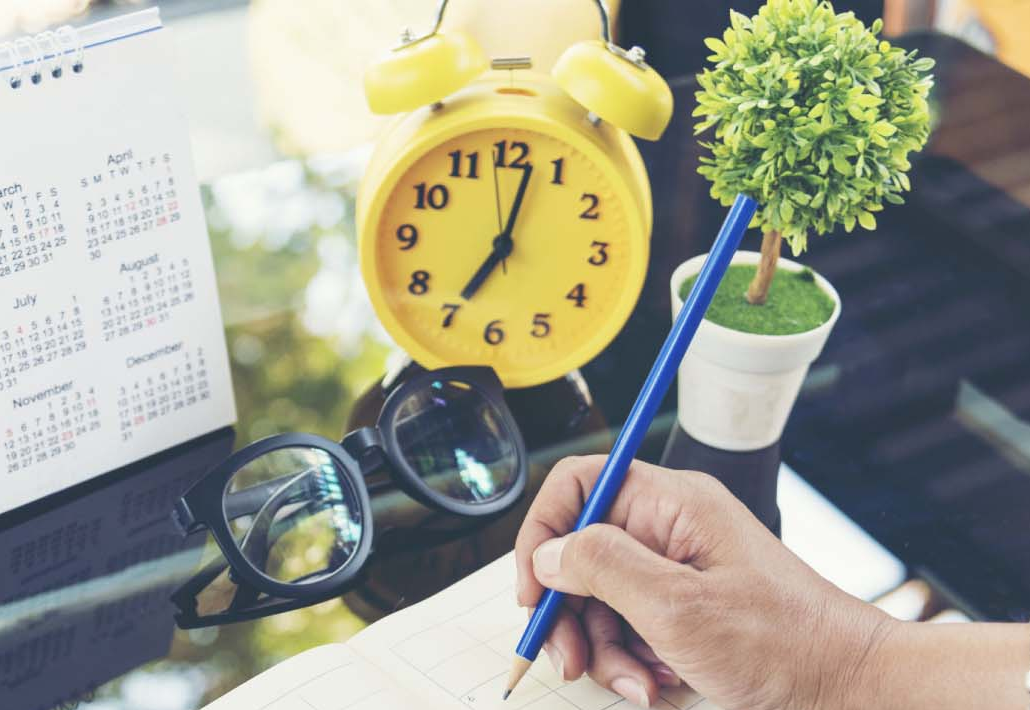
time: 7:02
